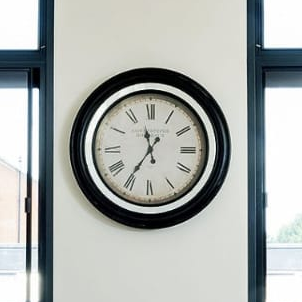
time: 11:35
